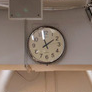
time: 1:57
